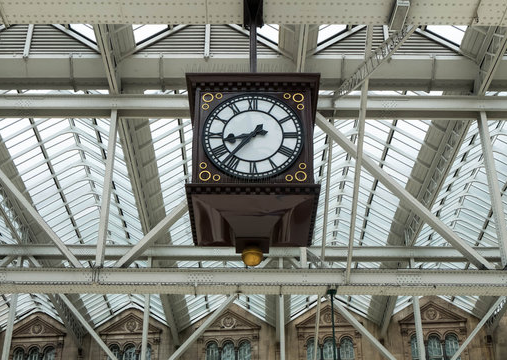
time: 8:37
